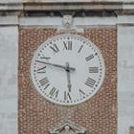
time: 5:47
